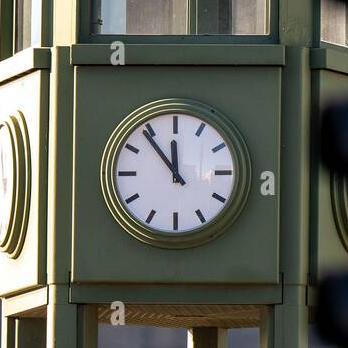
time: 11:53
